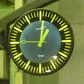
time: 1:01
